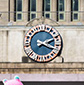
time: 2:18
